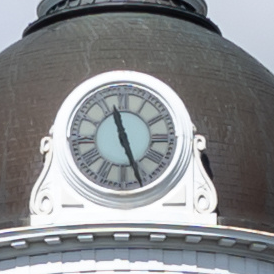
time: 11:26
